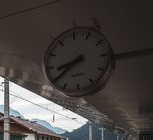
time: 8:39
